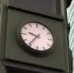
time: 9:36
